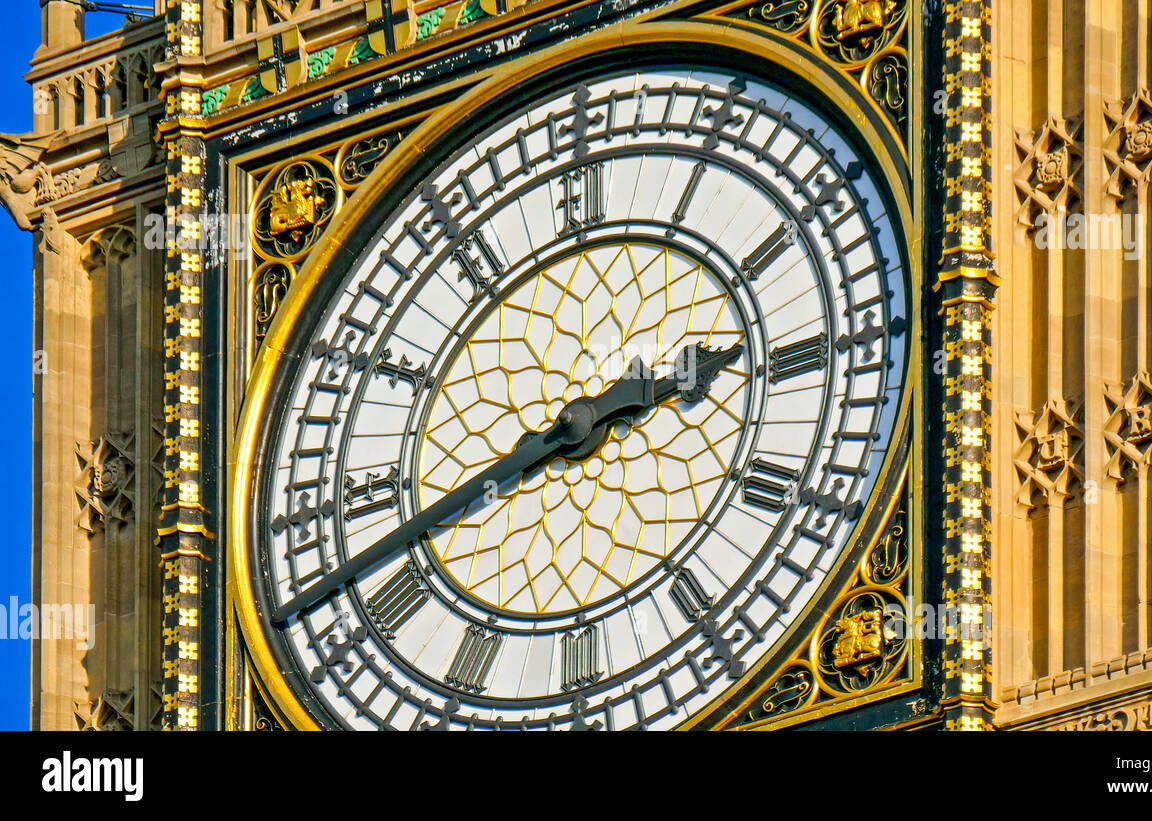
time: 2:42
